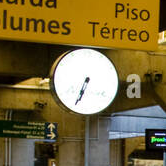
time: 6:33
